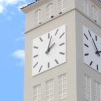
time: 2:02
